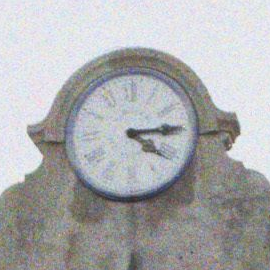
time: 4:13
